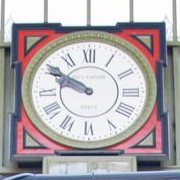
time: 9:50
